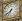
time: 6:38
